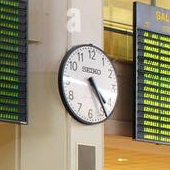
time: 4:23
